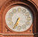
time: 6:34
